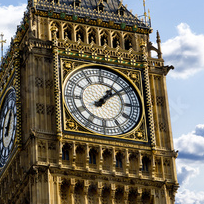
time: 1:08
